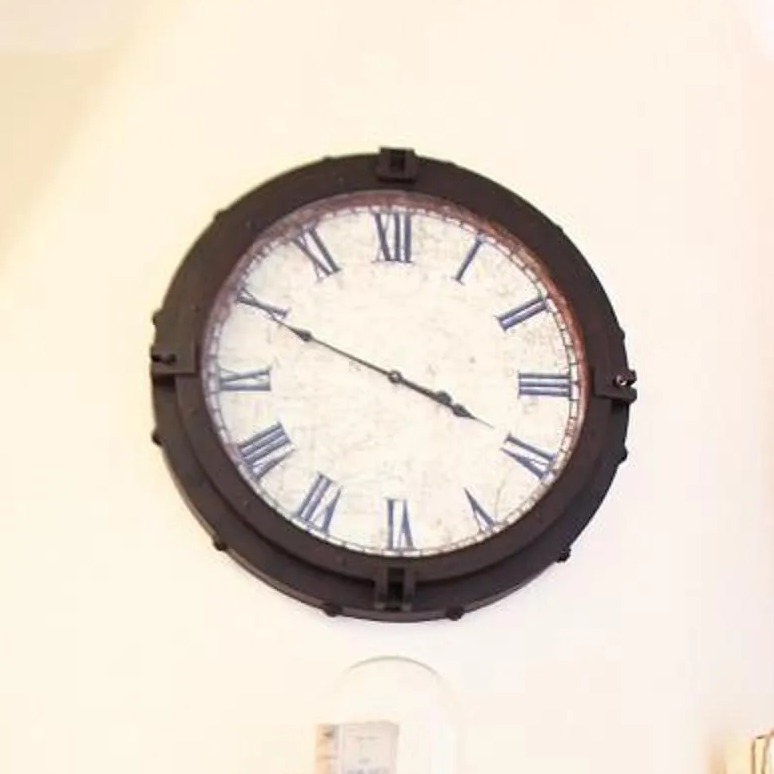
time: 3:49
